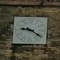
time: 9:20
